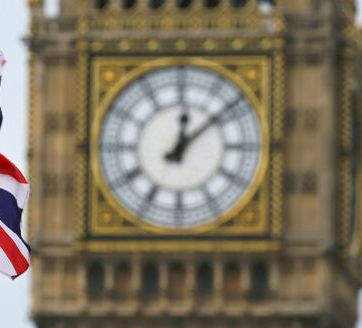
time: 12:08
